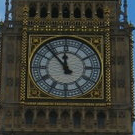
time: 11:53
